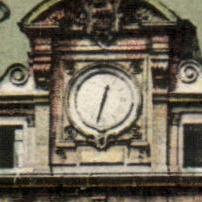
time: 12:32
